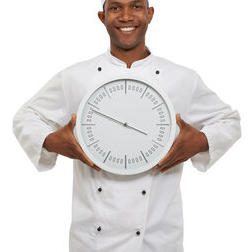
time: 3:48
